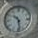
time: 10:28
